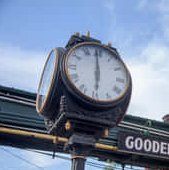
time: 5:59
